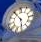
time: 5:54
